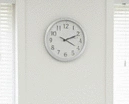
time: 2:19
